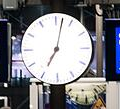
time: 7:02
